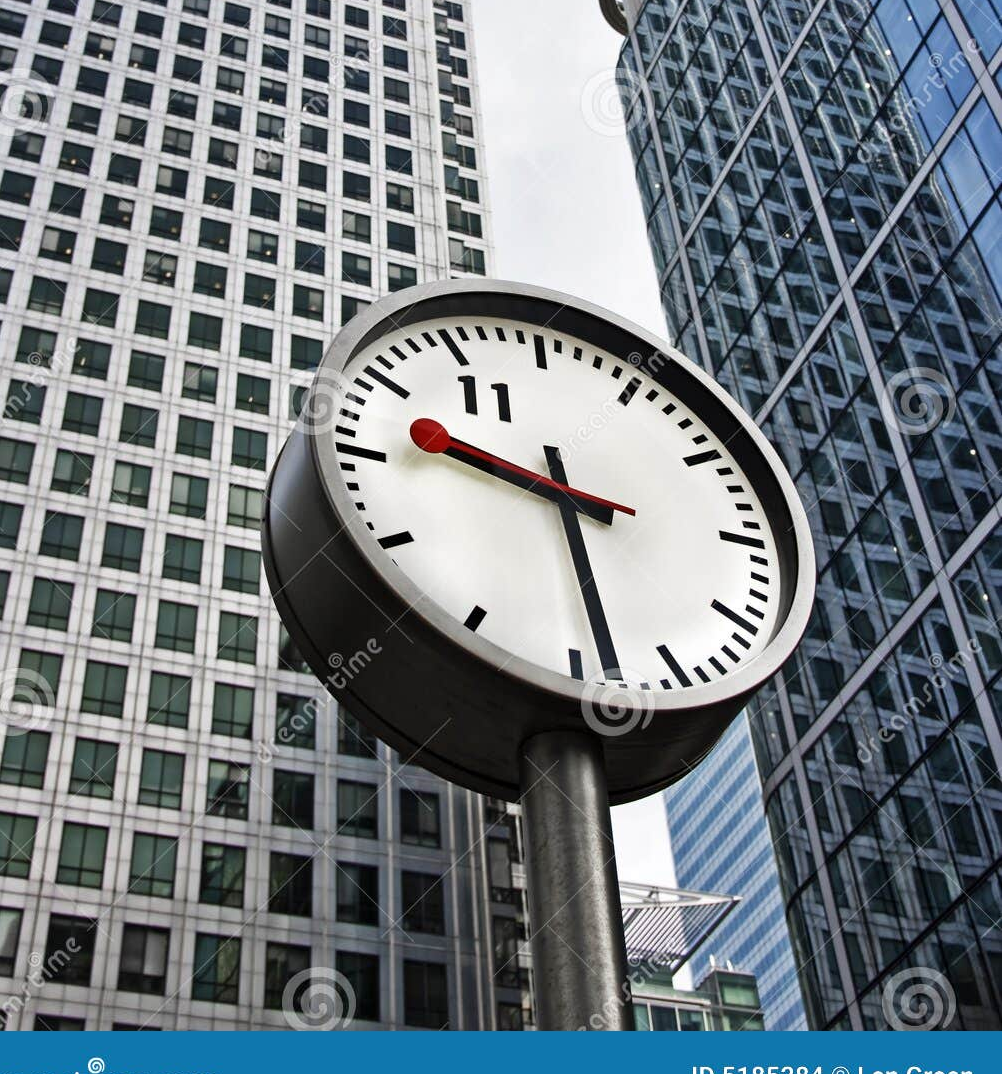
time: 9:28
